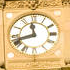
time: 11:42
